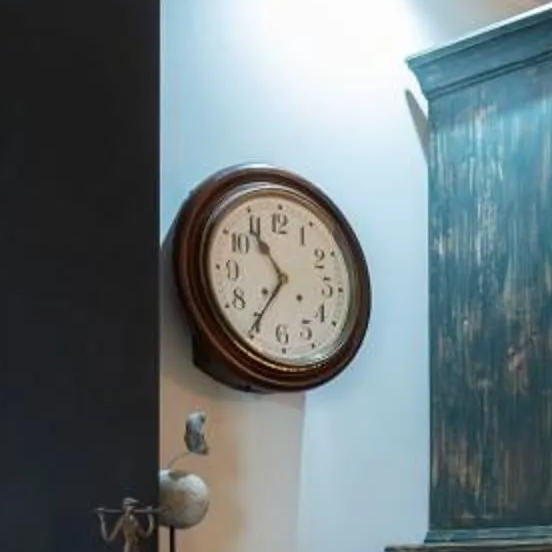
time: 10:35
